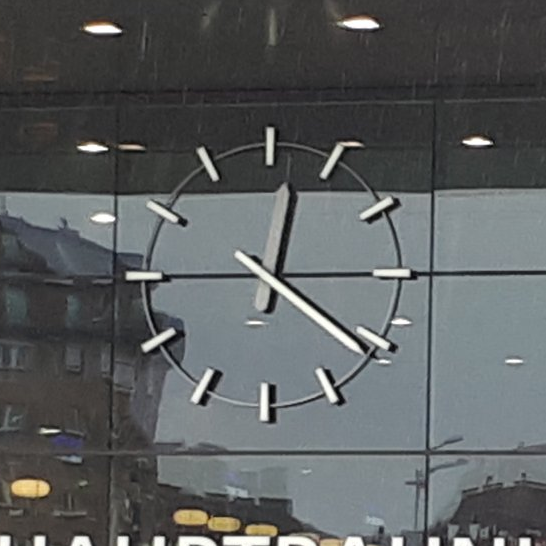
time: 12:21
